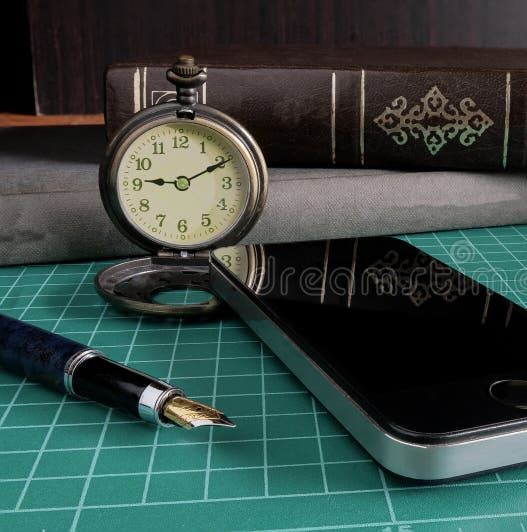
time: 9:10
